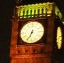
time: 6:34
